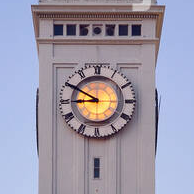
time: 8:50
